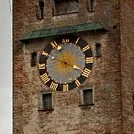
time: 3:48
